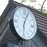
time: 6:03
